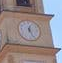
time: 12:26
